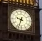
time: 9:33
